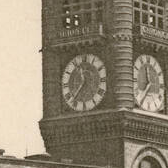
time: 11:36
